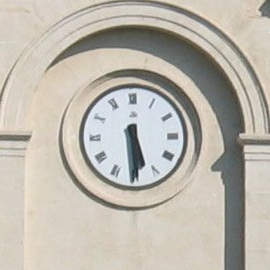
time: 5:29
